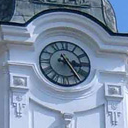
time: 3:24
